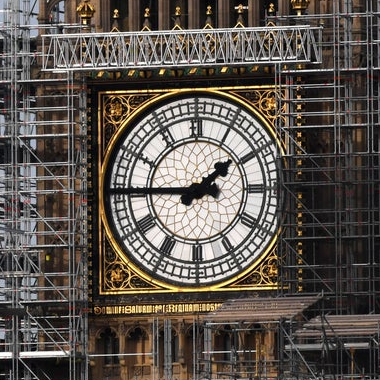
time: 1:45
